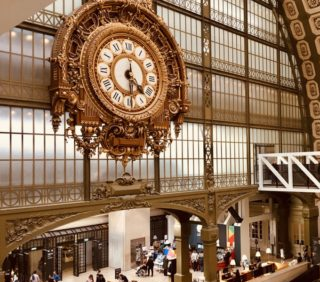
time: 4:29
